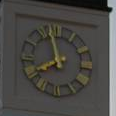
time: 7:57
